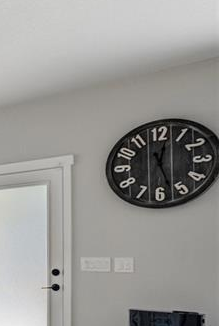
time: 12:27
